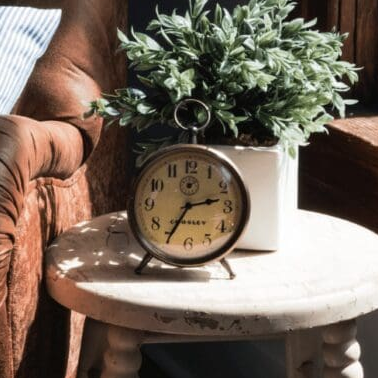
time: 2:34
